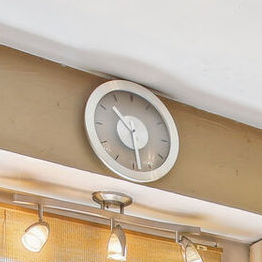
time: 10:28
